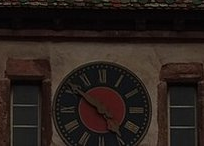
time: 4:51
